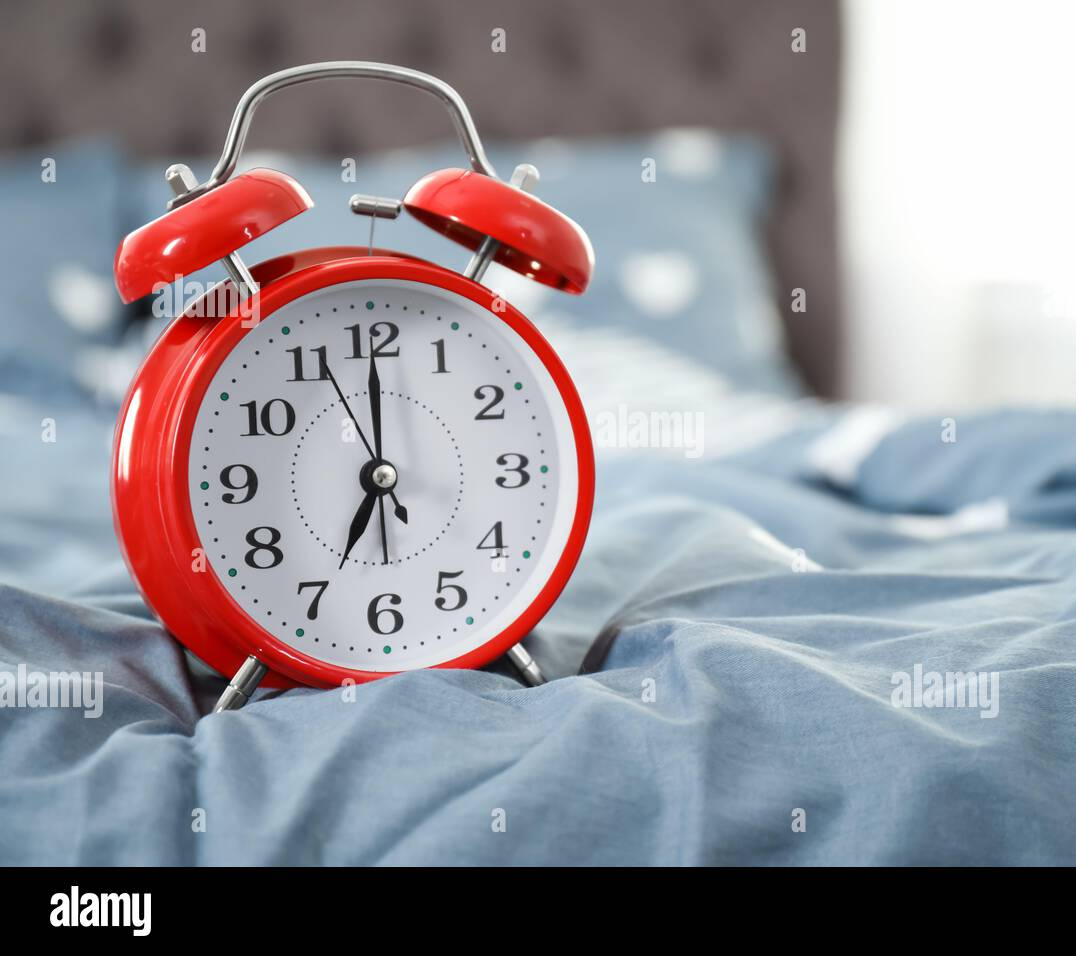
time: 7:00
